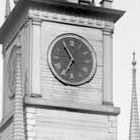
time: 6:54
